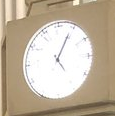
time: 5:04
